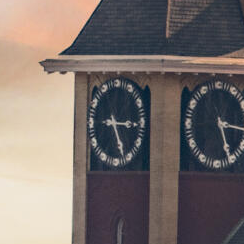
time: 5:15
